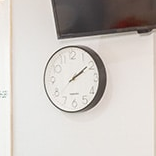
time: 2:09
